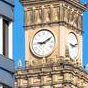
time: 9:10
